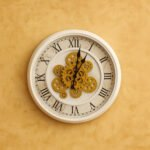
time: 1:02
